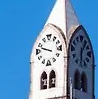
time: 9:48
